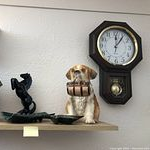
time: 12:05
